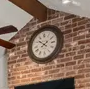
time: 1:51
